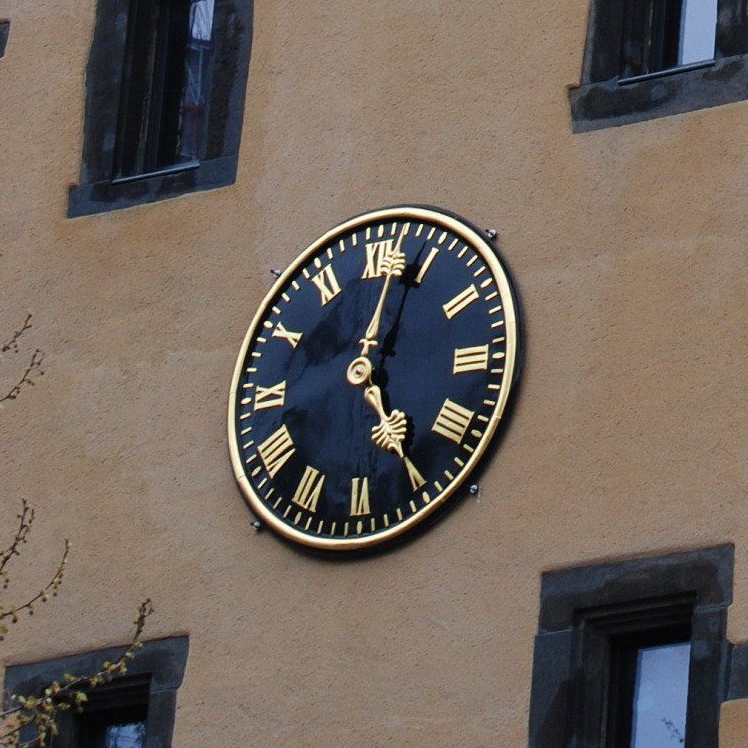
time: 5:02
